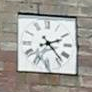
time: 2:23
